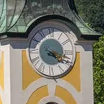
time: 4:18
